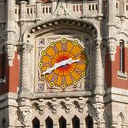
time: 2:41
